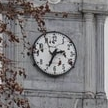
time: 2:34
